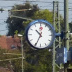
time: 10:34
